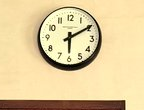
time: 6:09
